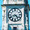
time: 4:41
